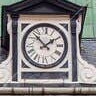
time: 1:53
